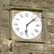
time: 6:08
